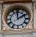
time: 1:59
